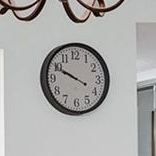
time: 9:49
